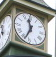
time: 11:34
